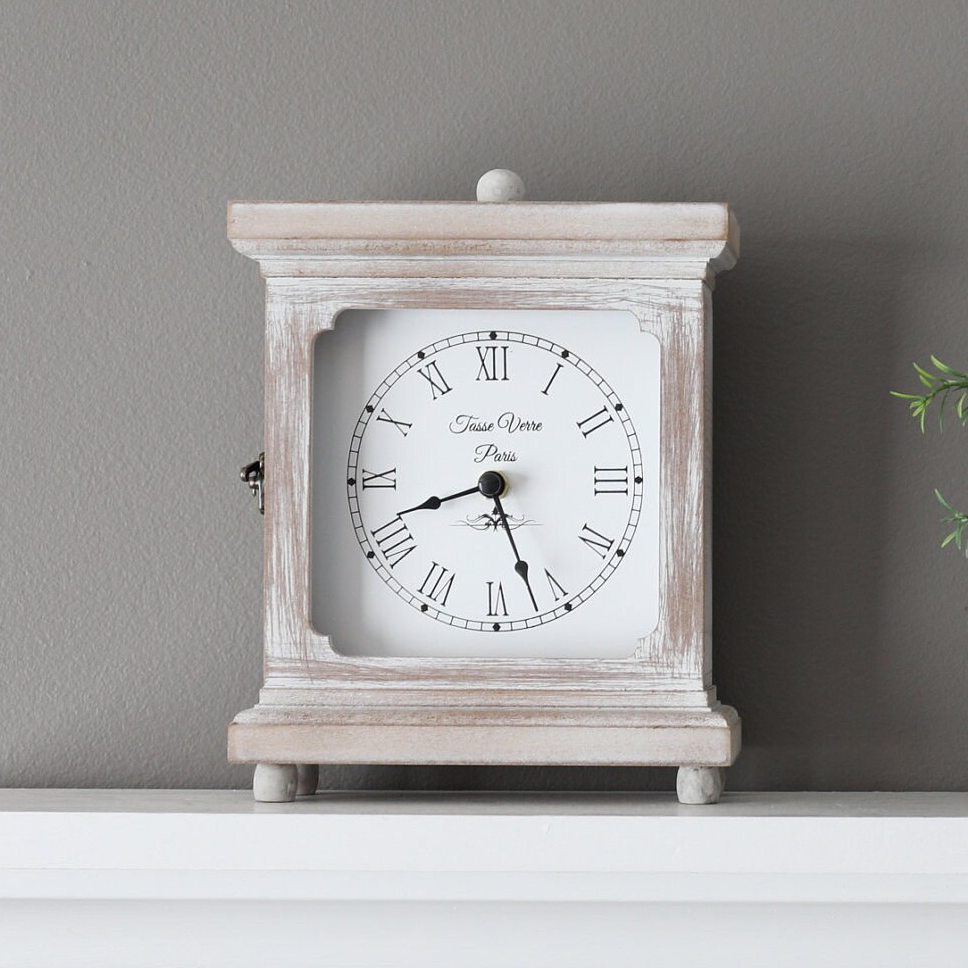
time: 8:26
